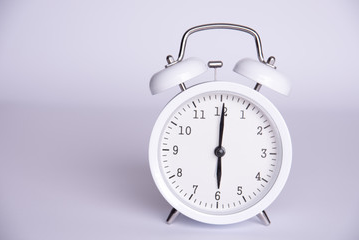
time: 6:00
